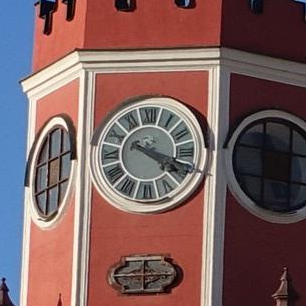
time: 4:18
